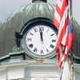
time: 11:58
